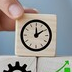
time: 12:09
